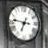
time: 6:46
